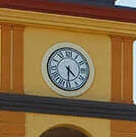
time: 4:29
